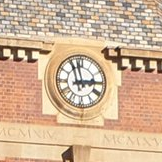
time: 2:57
